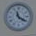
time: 11:20
